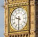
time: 9:31
